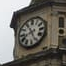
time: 8:26
